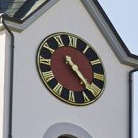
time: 4:22
